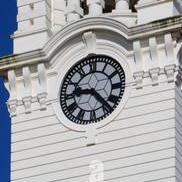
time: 9:22
